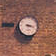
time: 3:17
